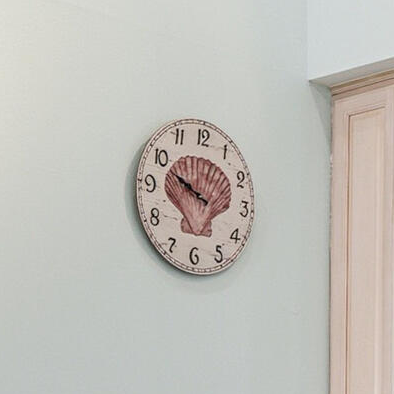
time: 9:48
